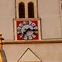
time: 7:15
